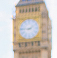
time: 1:46
